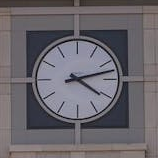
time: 4:12
